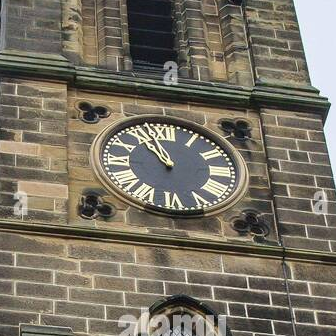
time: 10:56
